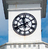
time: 11:41
